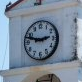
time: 2:48
